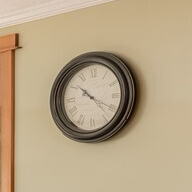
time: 10:19
